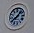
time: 8:07
